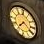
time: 7:20
